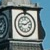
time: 9:10
